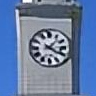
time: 1:20
